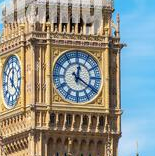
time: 12:20
